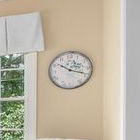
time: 10:18
